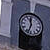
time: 11:33
